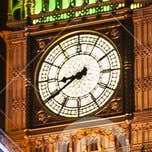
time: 8:39
